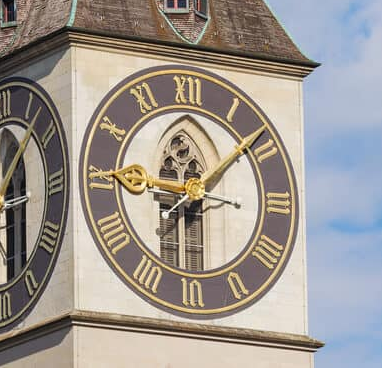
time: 9:08
